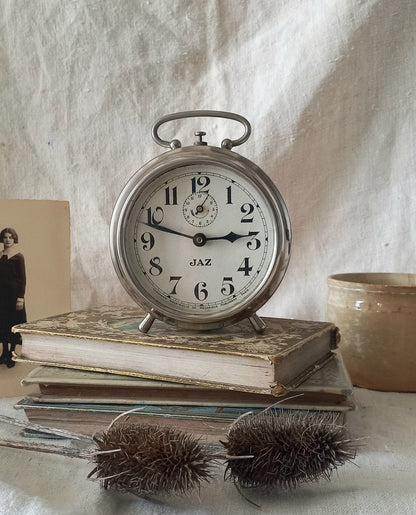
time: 2:48
